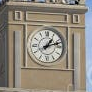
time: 1:11
